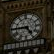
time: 4:44
